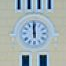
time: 11:59
